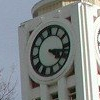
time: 4:17
